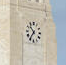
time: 10:36
